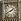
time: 1:41
